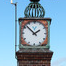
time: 1:52
